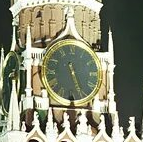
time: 5:26
